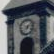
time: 7:12
